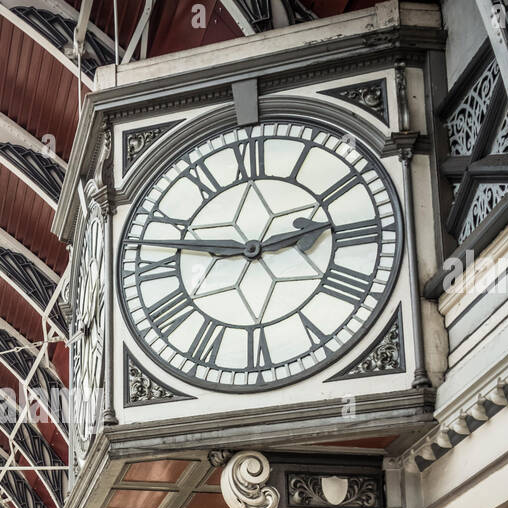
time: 2:46
